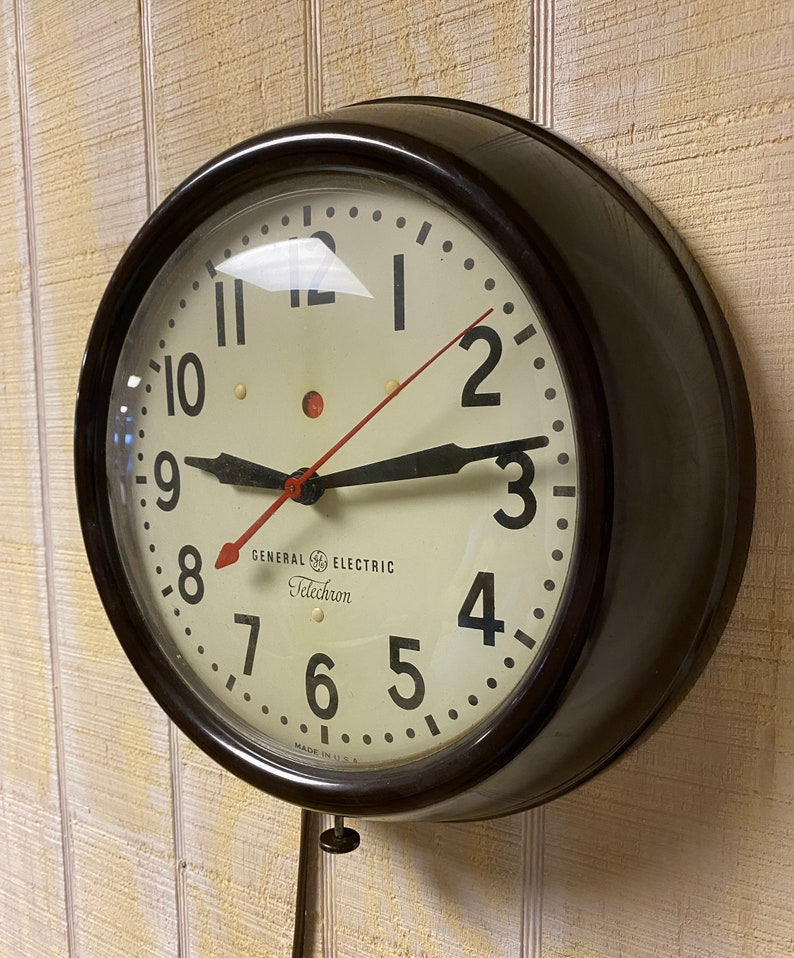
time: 9:13
